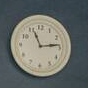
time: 11:13
